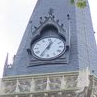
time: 12:35
